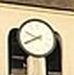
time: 9:41
